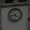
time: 4:42
